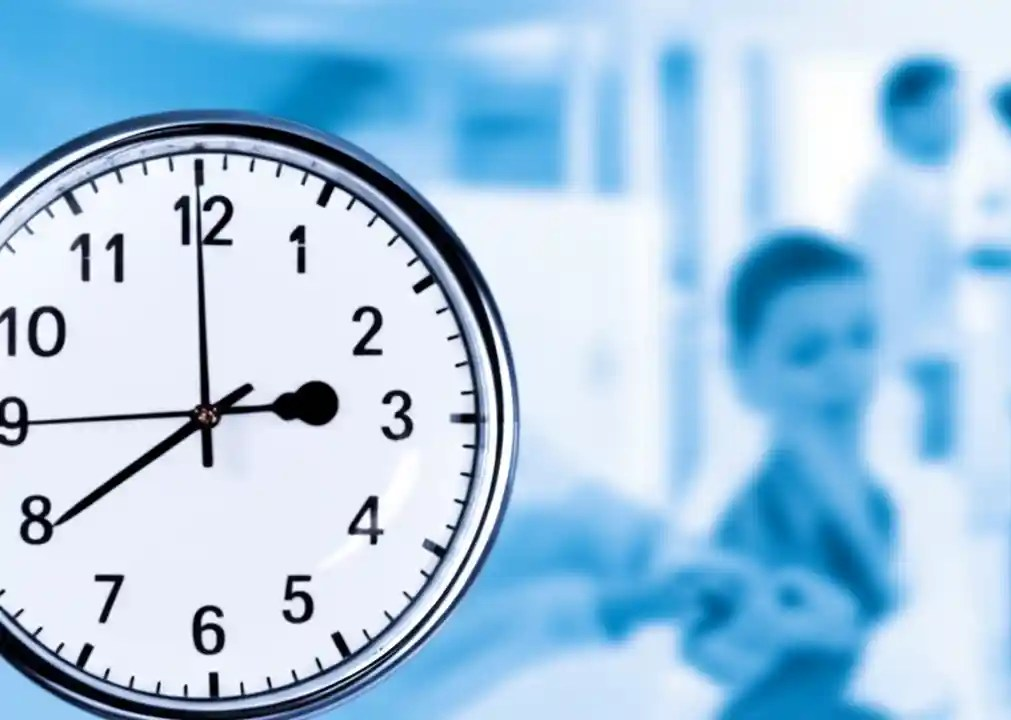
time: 2:39
